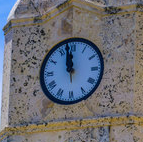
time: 11:58
